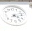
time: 4:12
